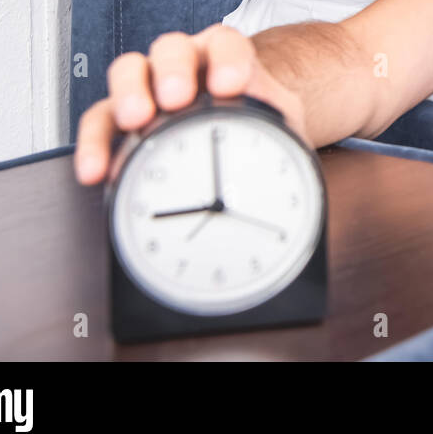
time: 8:59
